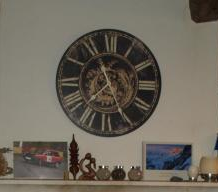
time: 7:25
